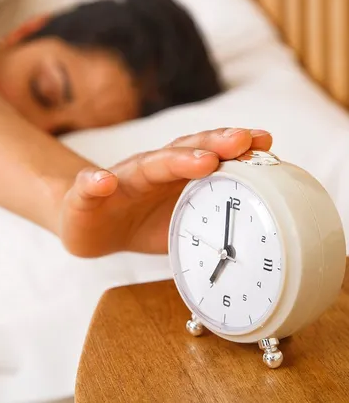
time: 6:58
